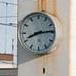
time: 8:14
